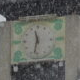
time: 11:32
